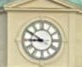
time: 8:50
